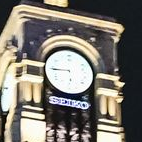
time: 5:44
